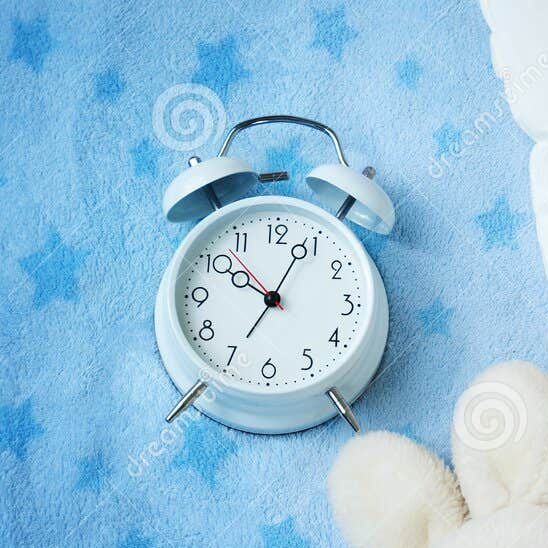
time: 10:04
